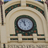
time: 11:56
